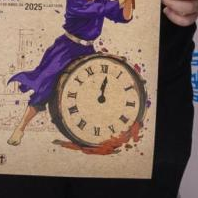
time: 12:01
